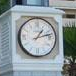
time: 1:12
